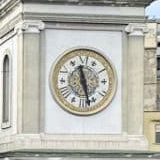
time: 11:28
